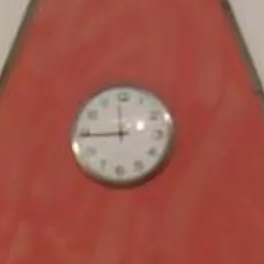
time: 11:44
